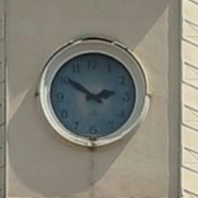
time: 2:50
